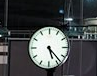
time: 5:23
